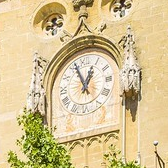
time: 12:55
